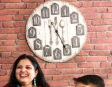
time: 6:25
